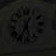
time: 5:35
